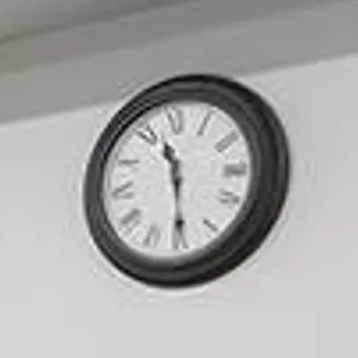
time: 11:29
